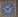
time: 10:07
